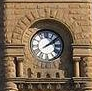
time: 2:08
